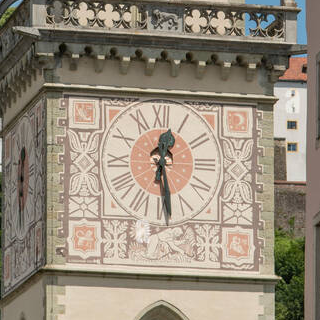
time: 12:28
